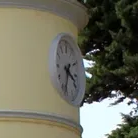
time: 3:32
